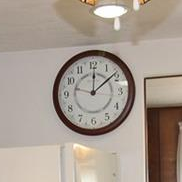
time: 12:08
